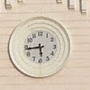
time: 5:43
